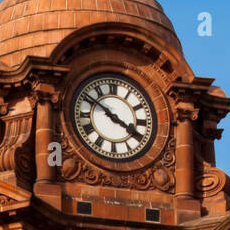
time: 3:50
